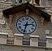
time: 2:32
